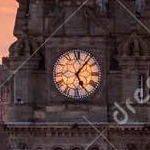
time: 5:06
